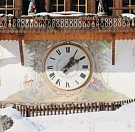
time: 1:09
